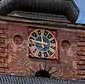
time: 11:46
